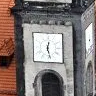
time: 12:27
